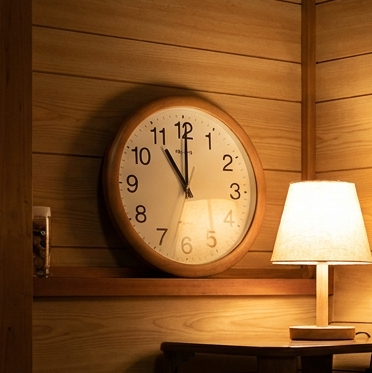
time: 11:00
